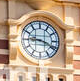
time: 9:18
